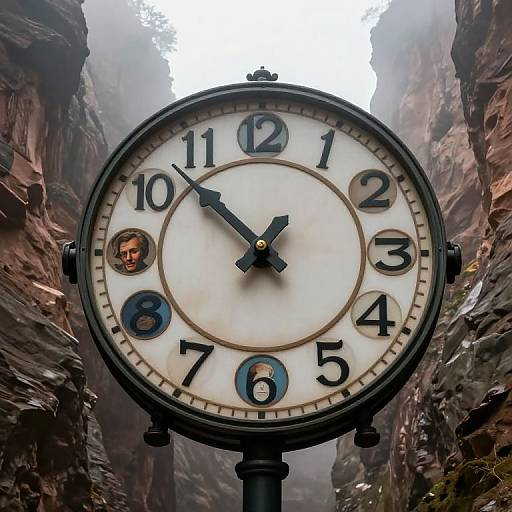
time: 12:52
